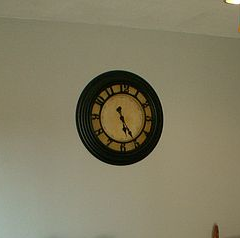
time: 5:24
